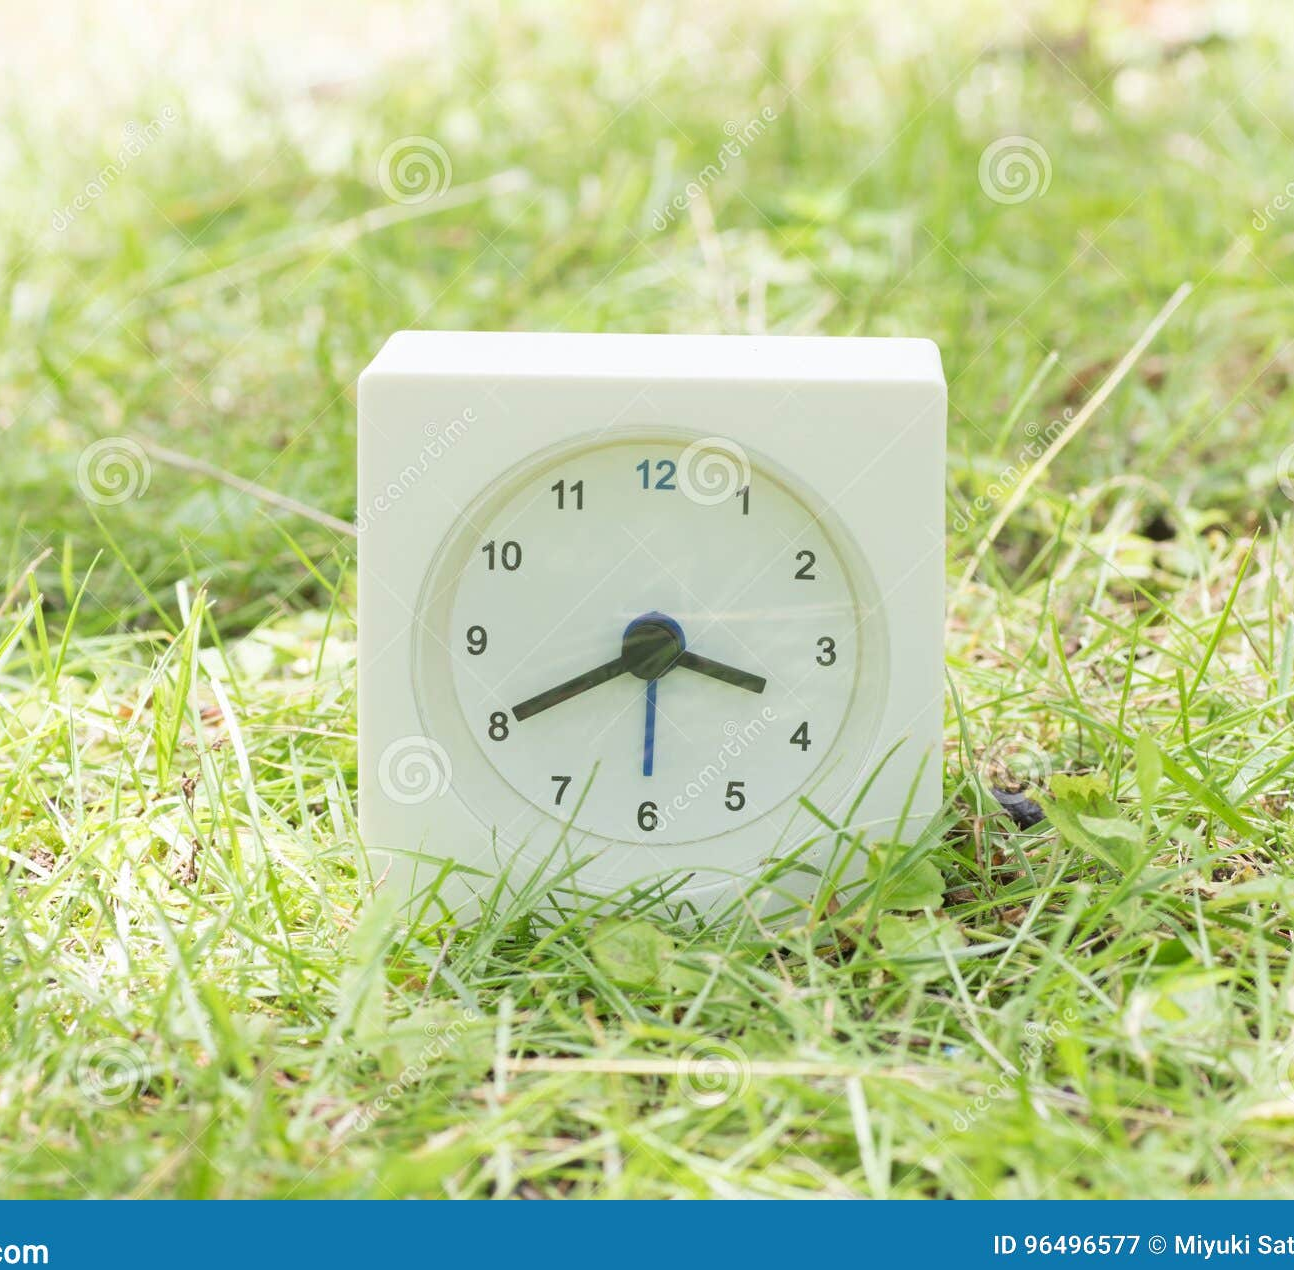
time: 3:40
